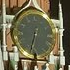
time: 6:32
